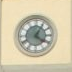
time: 4:04
